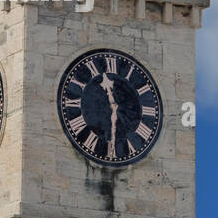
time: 11:29
